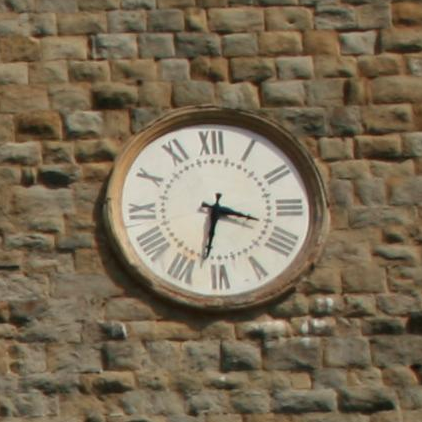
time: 3:32
